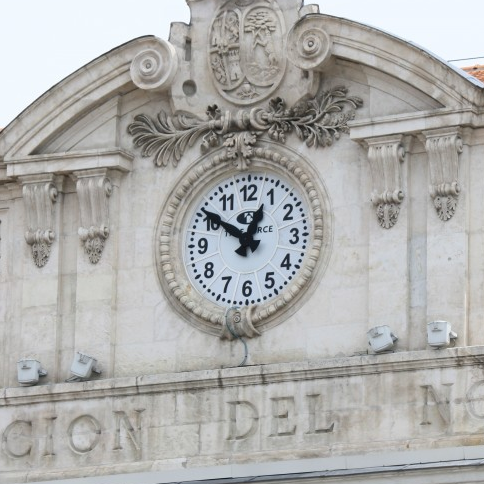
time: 12:50
